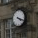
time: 4:18
